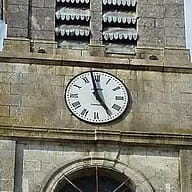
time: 4:57
